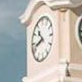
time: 10:41
